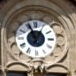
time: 12:56
